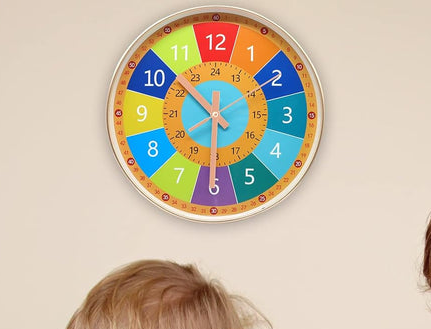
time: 10:30
